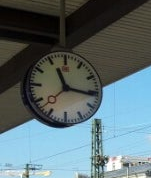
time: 11:16
